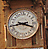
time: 3:43
